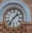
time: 1:36
